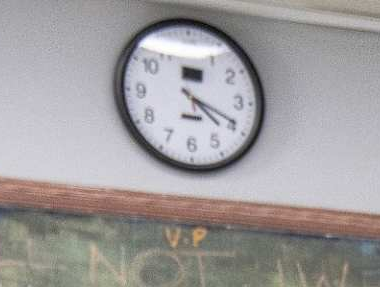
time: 4:19
